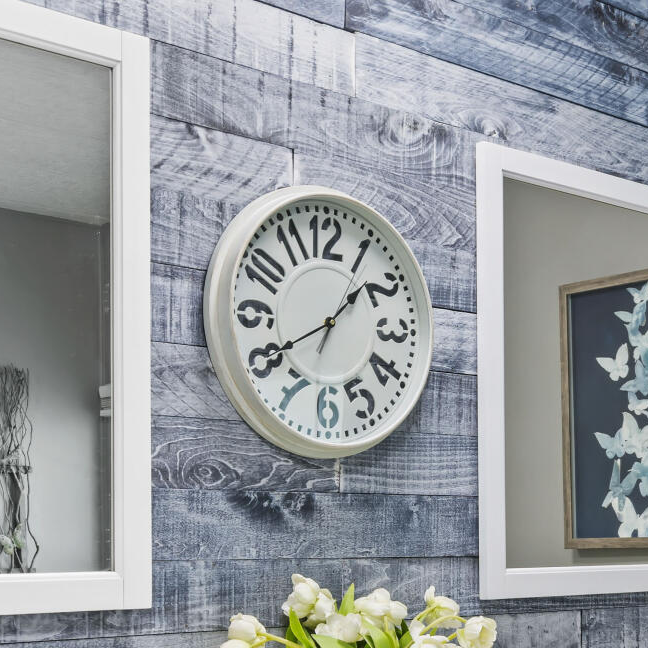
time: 1:40
